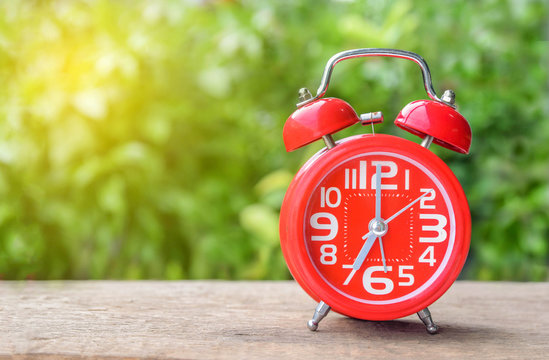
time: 7:00
